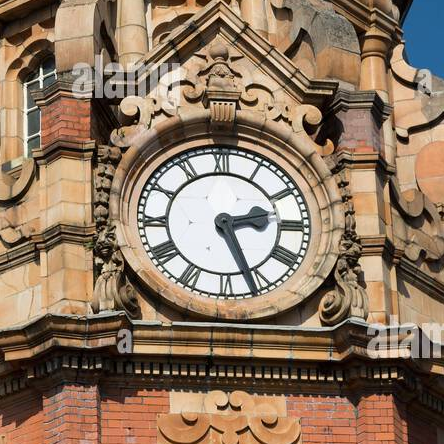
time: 2:26
